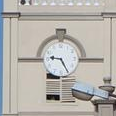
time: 9:25
